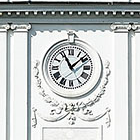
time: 11:08
